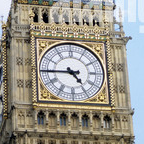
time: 4:44
